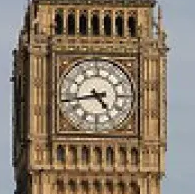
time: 4:43
